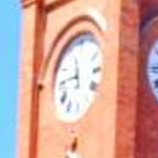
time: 11:45
